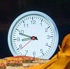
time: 8:48
